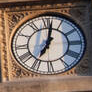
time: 7:01
